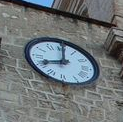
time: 8:00
